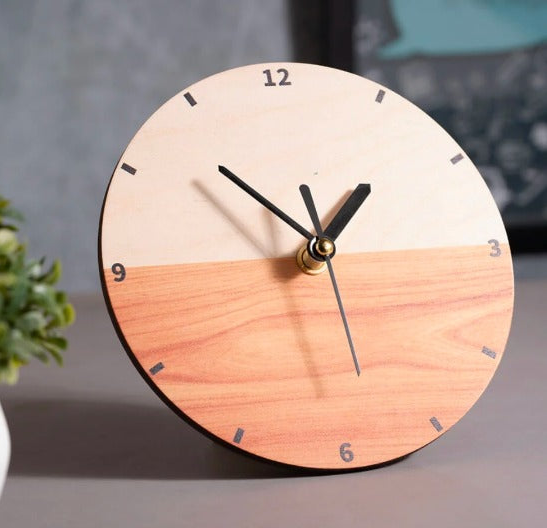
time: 1:52
